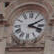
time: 3:09
